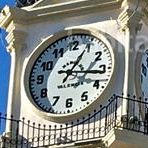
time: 1:16
